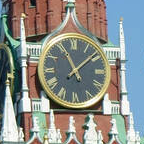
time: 11:08
